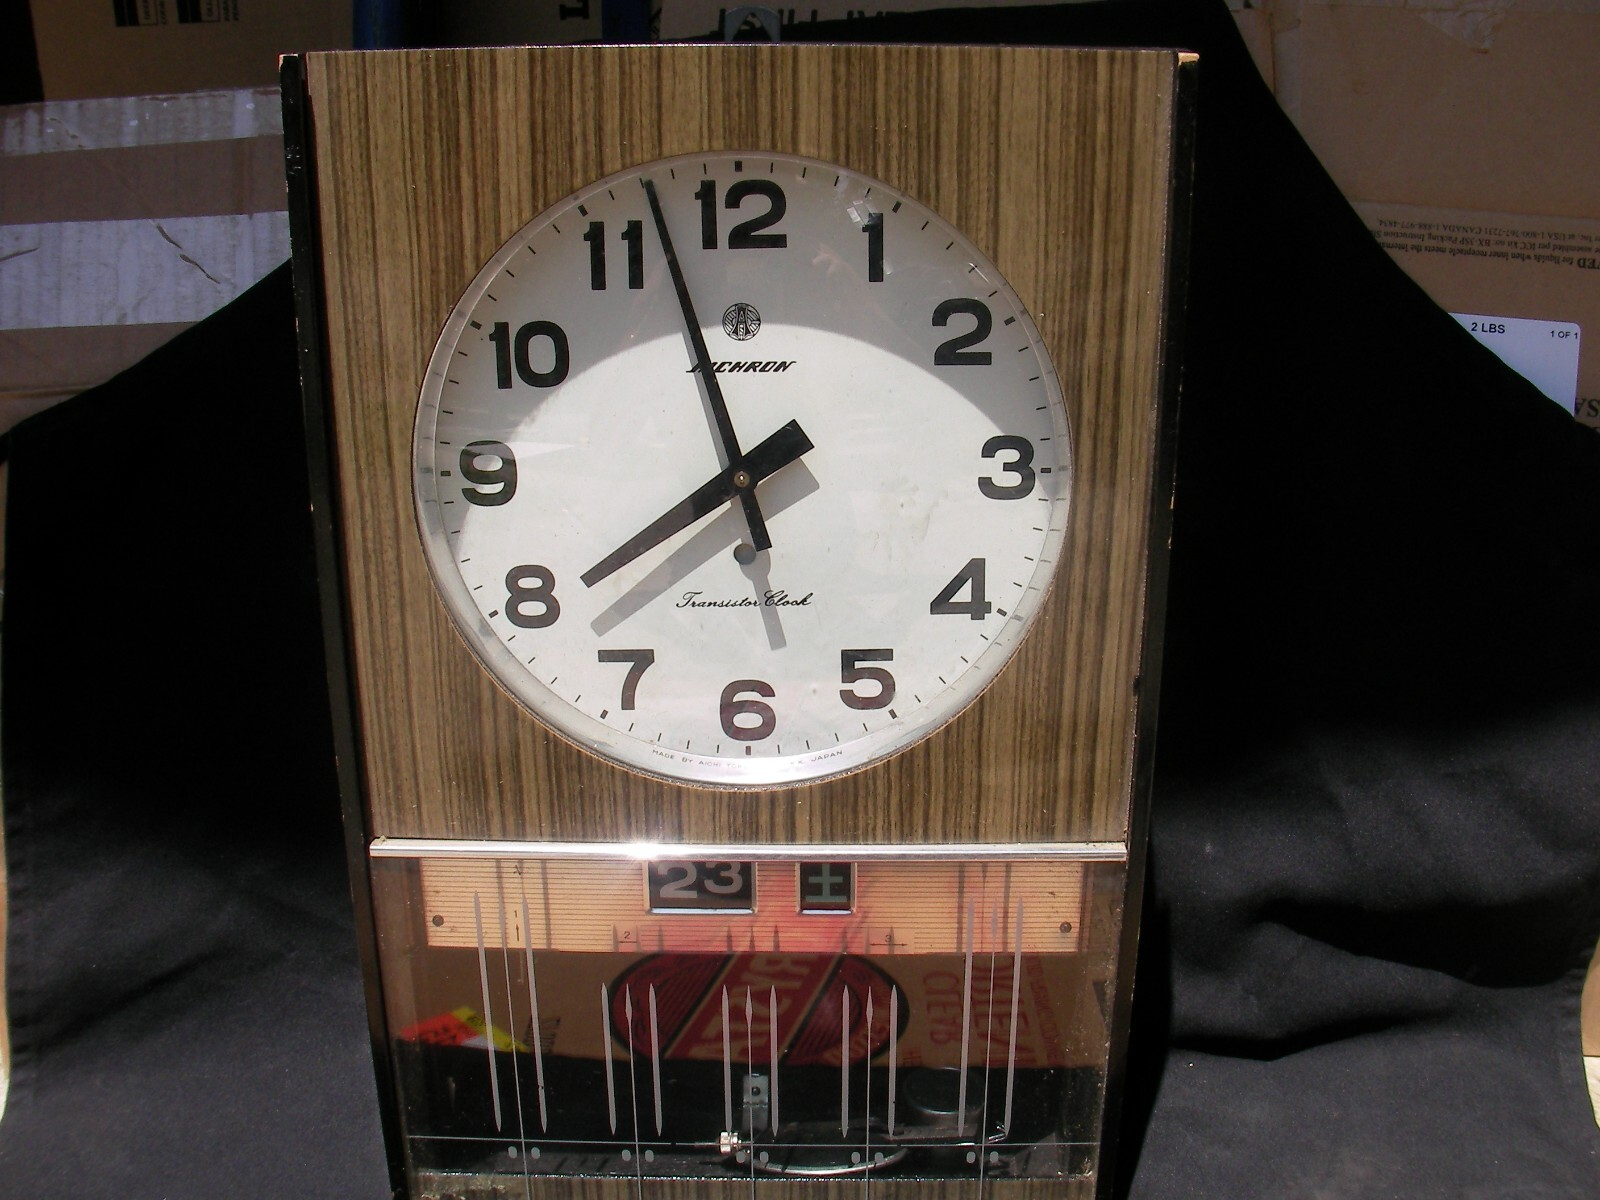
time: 7:57
